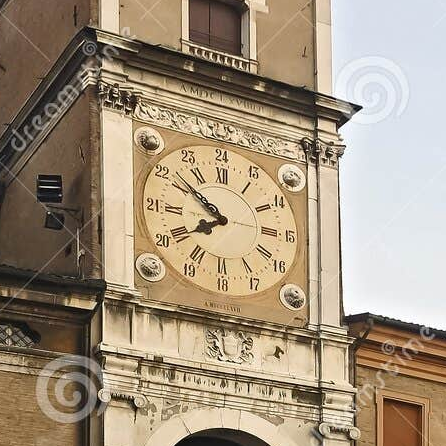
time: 7:51
